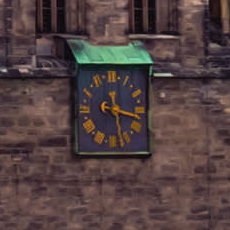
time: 12:17
